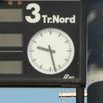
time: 9:27
